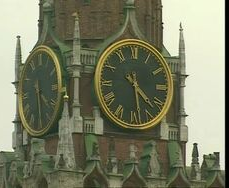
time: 4:28
